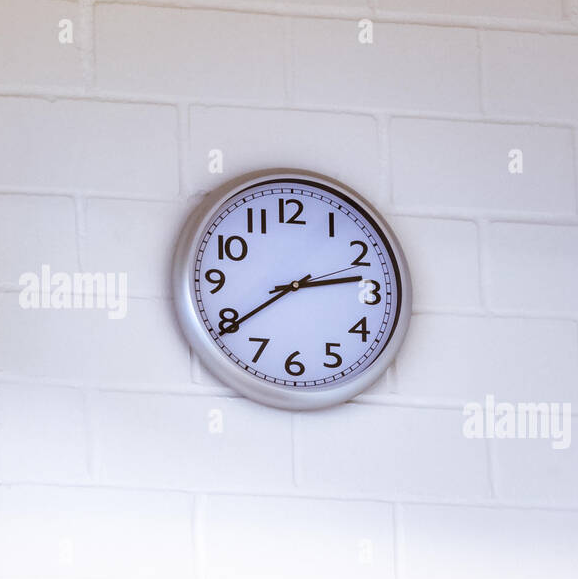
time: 2:39
